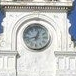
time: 12:42
